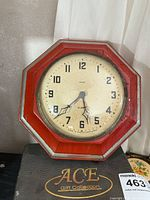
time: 5:38
